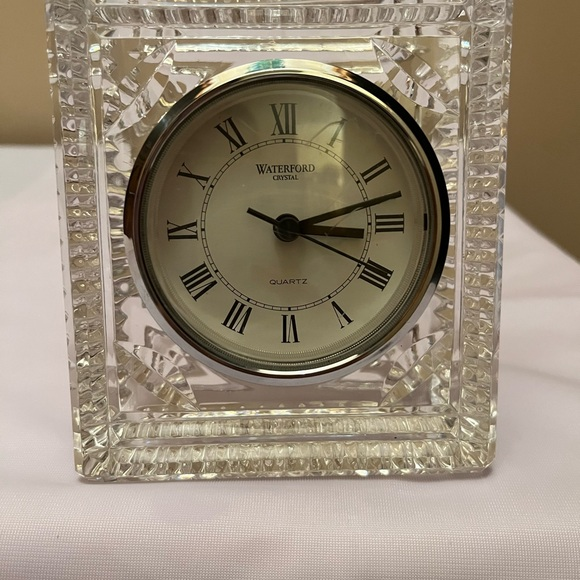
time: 3:12
